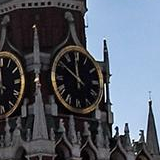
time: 11:50
